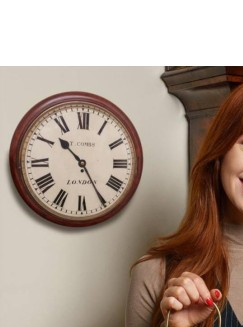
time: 10:24
